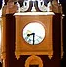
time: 8:30
